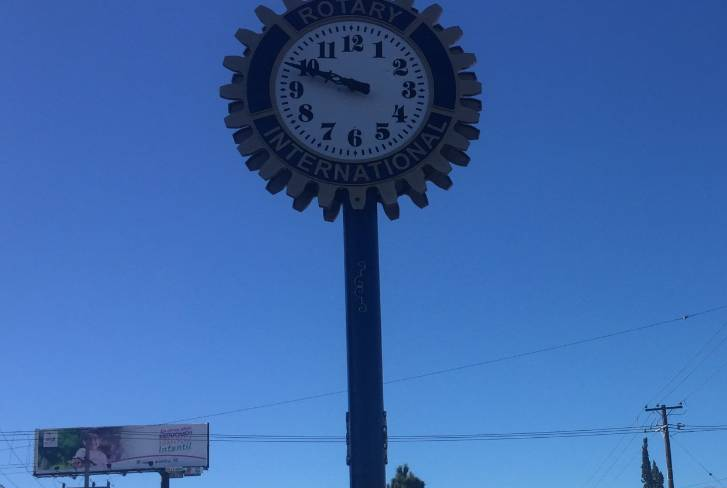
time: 9:48
